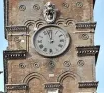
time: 11:57
